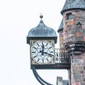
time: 12:18
